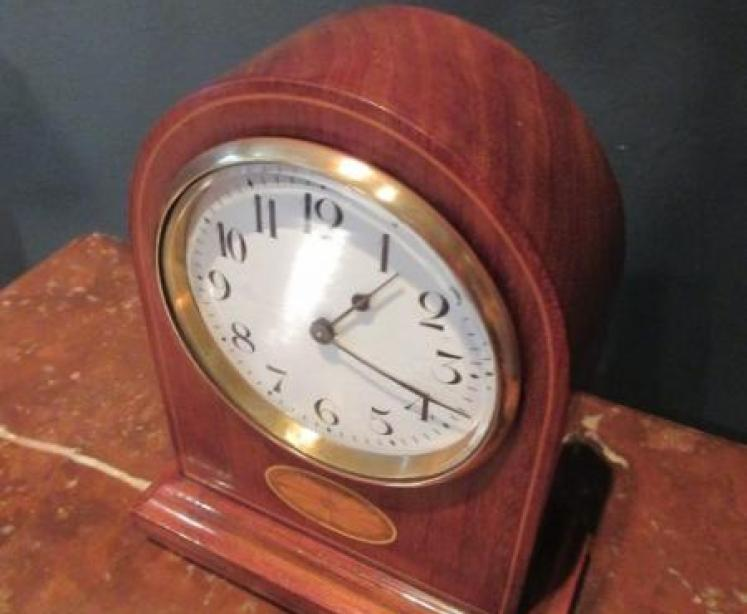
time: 1:18
